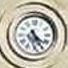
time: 4:25
